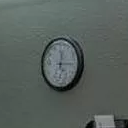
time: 12:14
